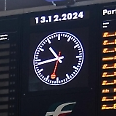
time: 10:43
